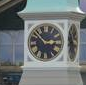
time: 2:52
